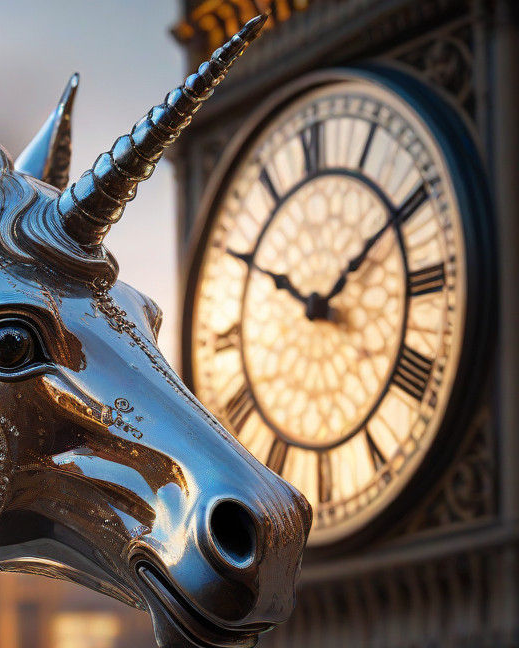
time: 10:09
